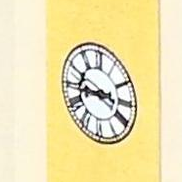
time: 3:43
